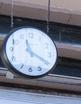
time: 11:19
